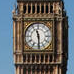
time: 11:29
